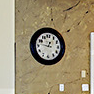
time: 12:46
